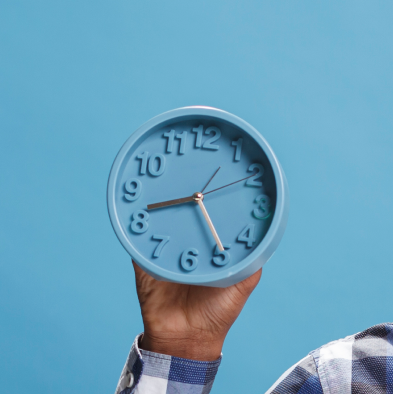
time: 8:24
